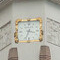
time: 3:33
